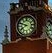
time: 7:48
